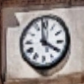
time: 3:58
